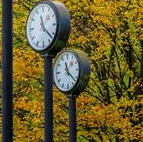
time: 11:21
